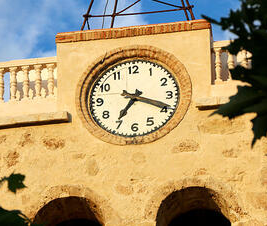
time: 7:18
